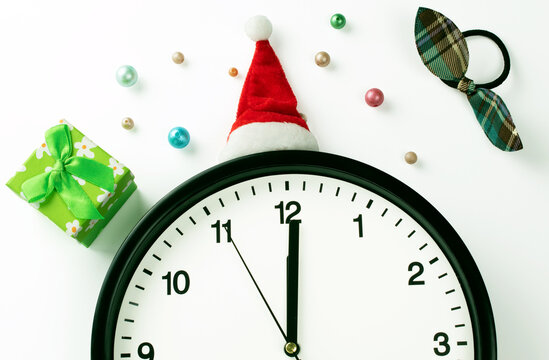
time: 12:00
